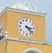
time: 3:22
